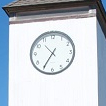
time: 10:35
